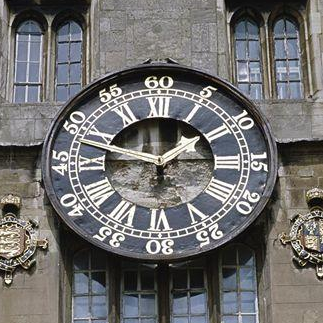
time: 1:47
